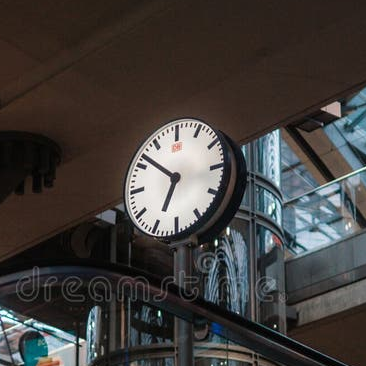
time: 6:51
